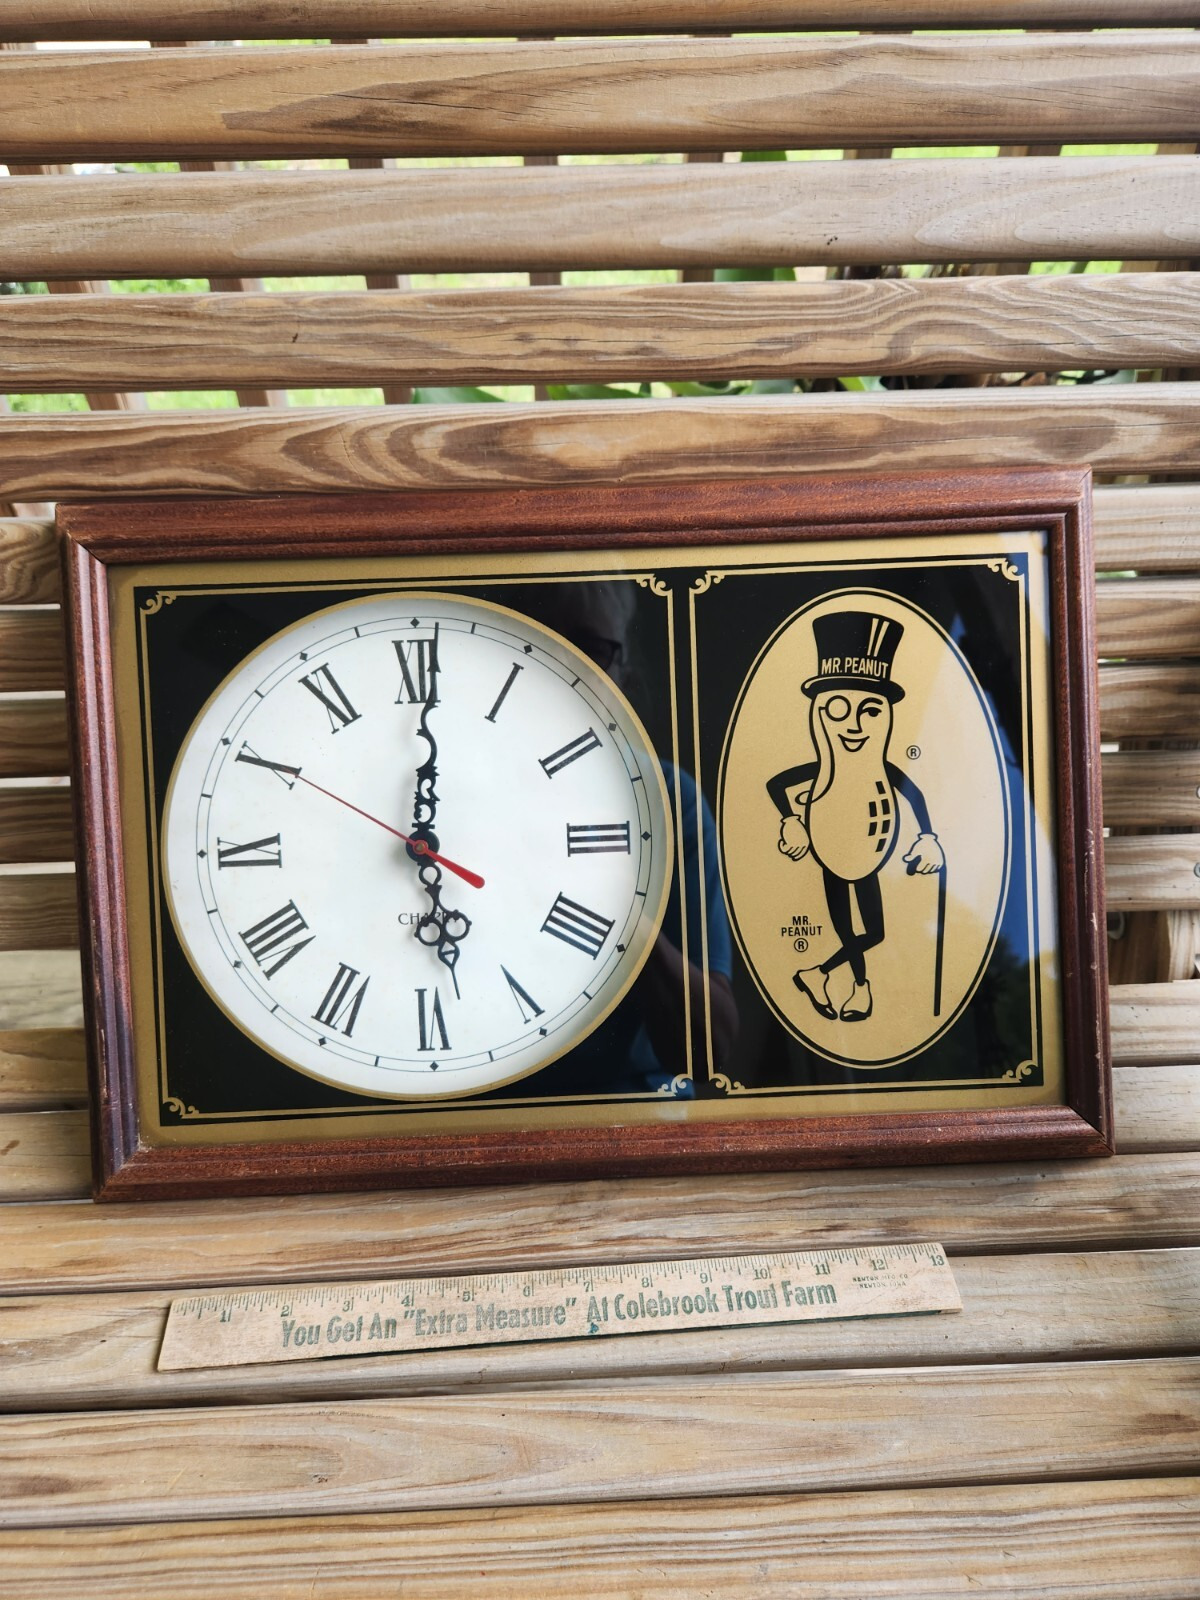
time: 6:00
